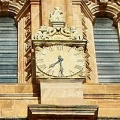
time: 7:30
